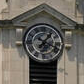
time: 1:18
